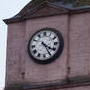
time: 4:25
